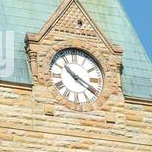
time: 10:20
